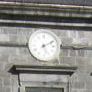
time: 5:09
